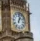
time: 1:02
